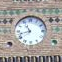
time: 10:42
